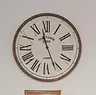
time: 11:26
